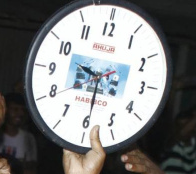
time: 9:29
